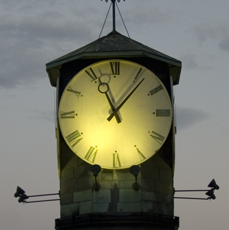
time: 11:06
